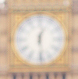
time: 12:28
